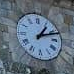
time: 1:11
